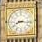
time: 8:16
